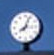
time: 8:04
